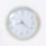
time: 8:22
